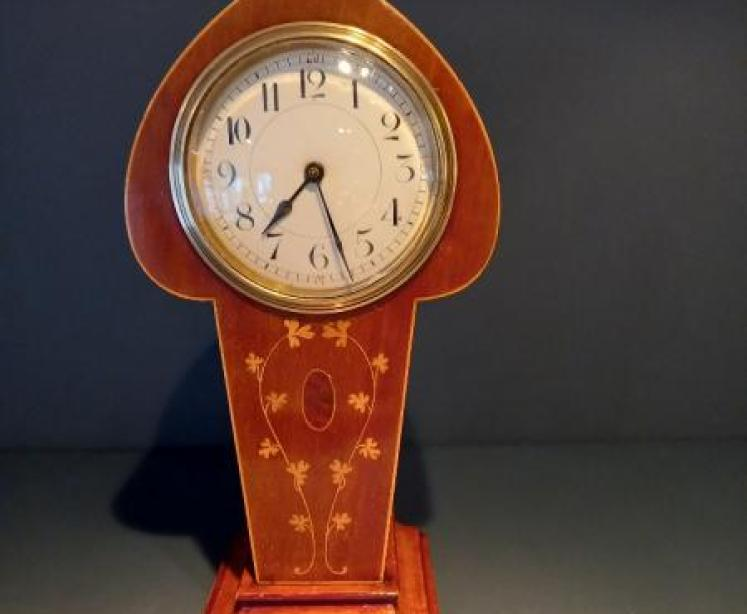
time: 7:27
